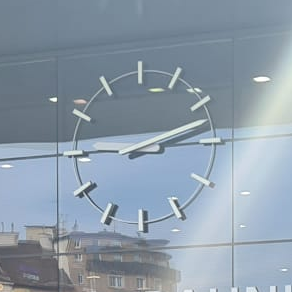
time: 9:12
